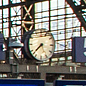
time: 7:37
